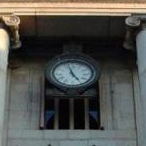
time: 4:57
